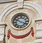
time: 3:50
